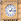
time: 1:16
